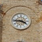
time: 3:45
